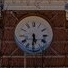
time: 5:31
